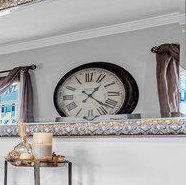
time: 1:21
